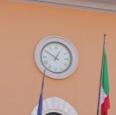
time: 12:50
